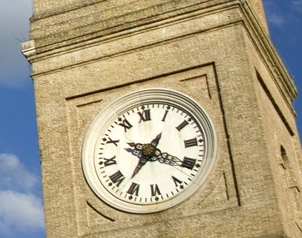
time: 7:20
